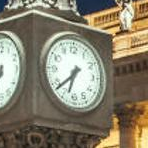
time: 6:38
